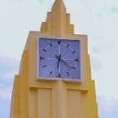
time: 6:21
